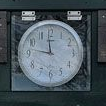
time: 11:46
